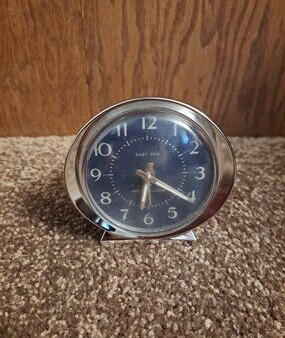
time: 6:20
